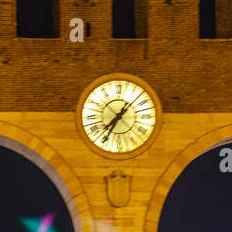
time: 7:35
